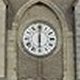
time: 6:00
